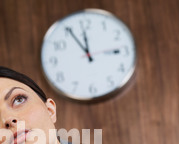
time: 11:55
